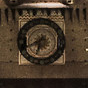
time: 6:41
